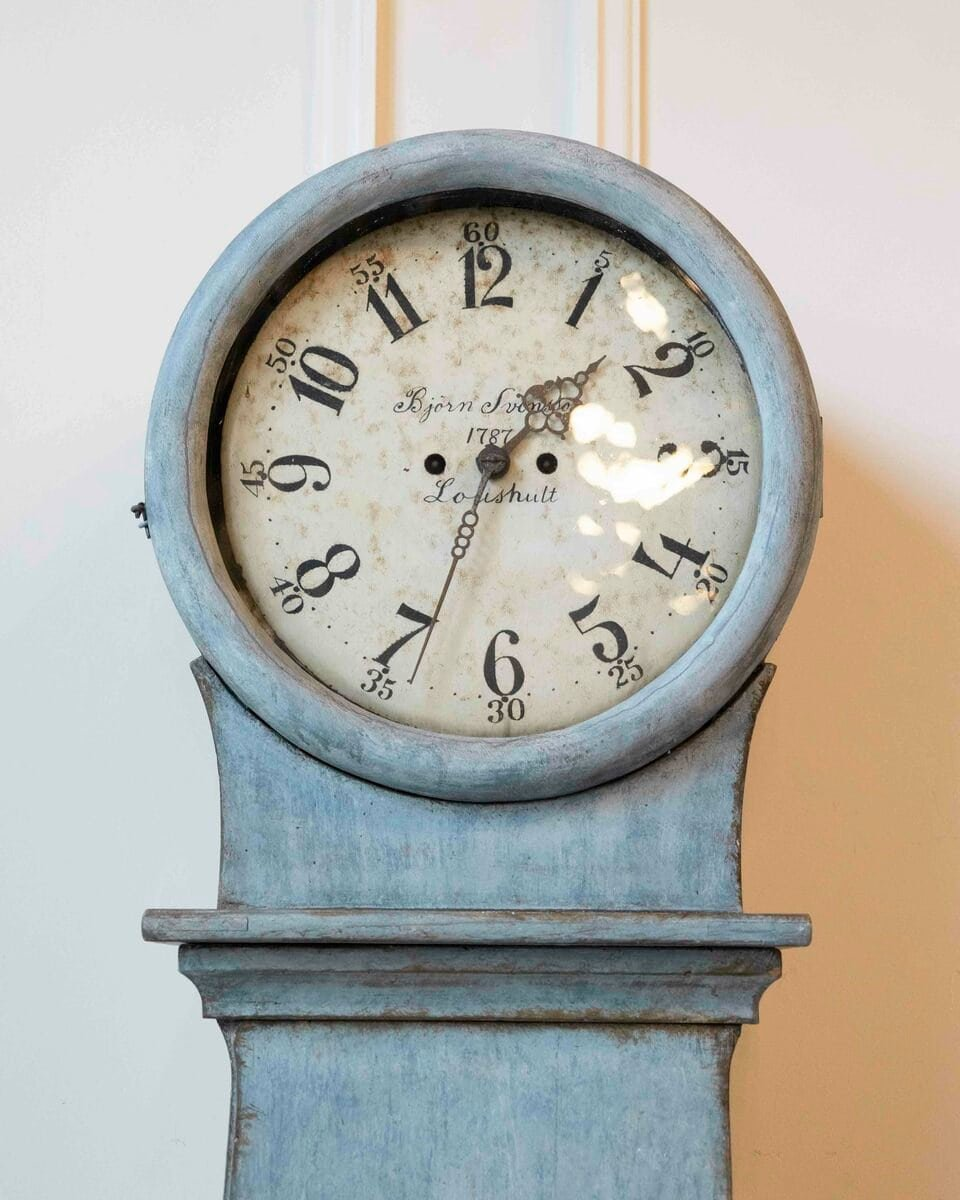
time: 1:34
